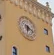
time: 6:18
